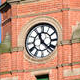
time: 11:22
